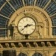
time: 2:38
